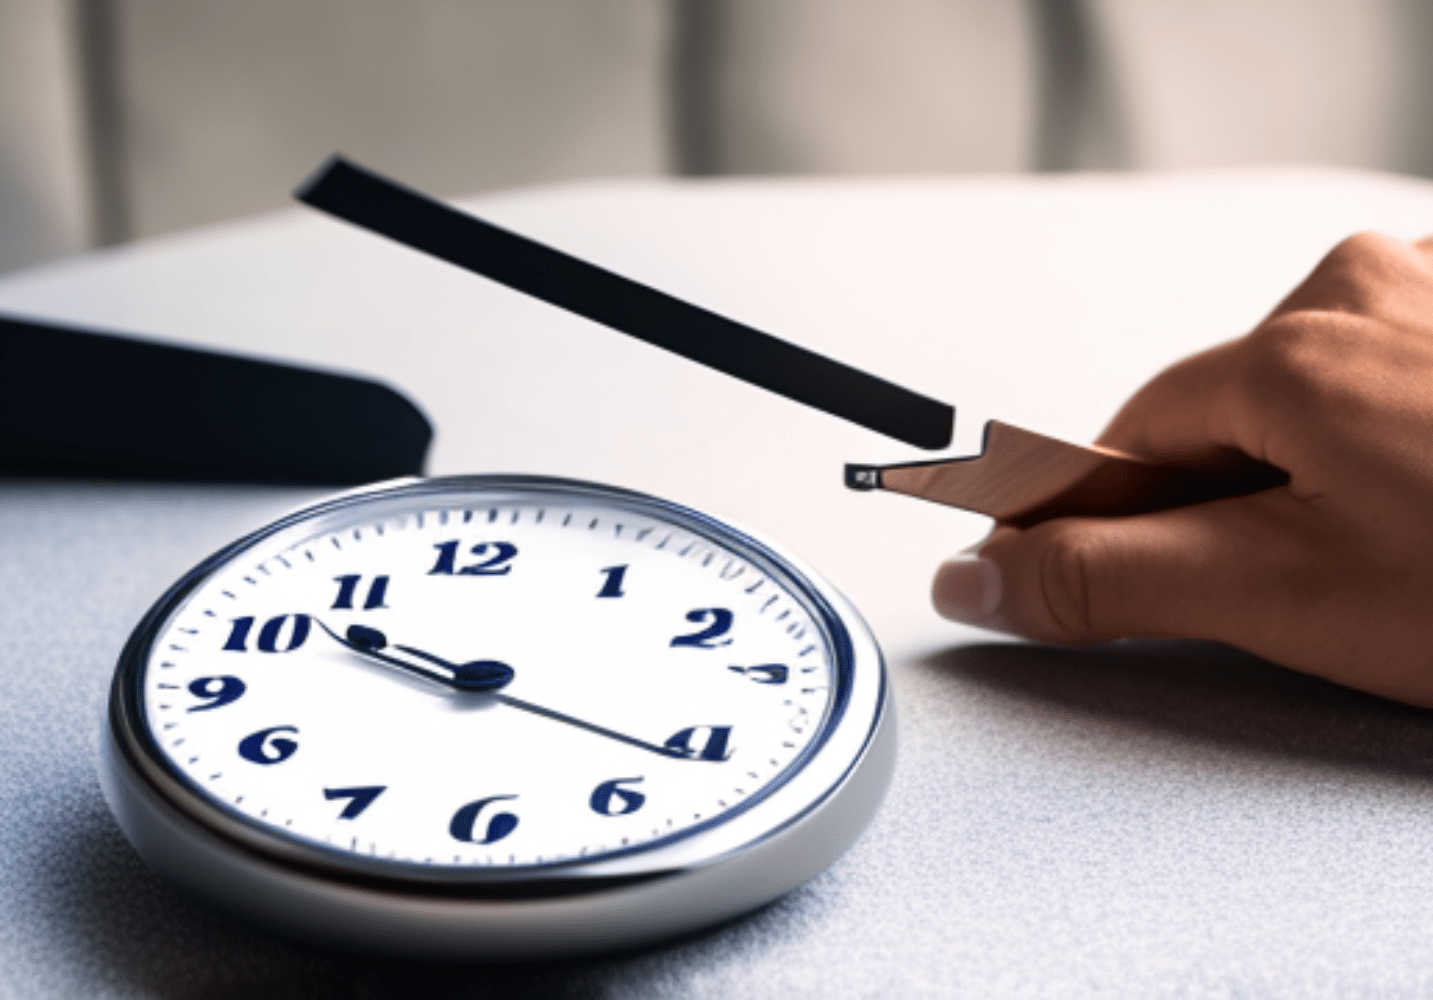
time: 10:20
